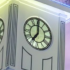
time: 6:59
